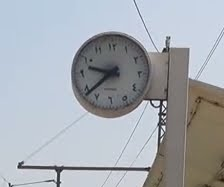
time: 9:38
